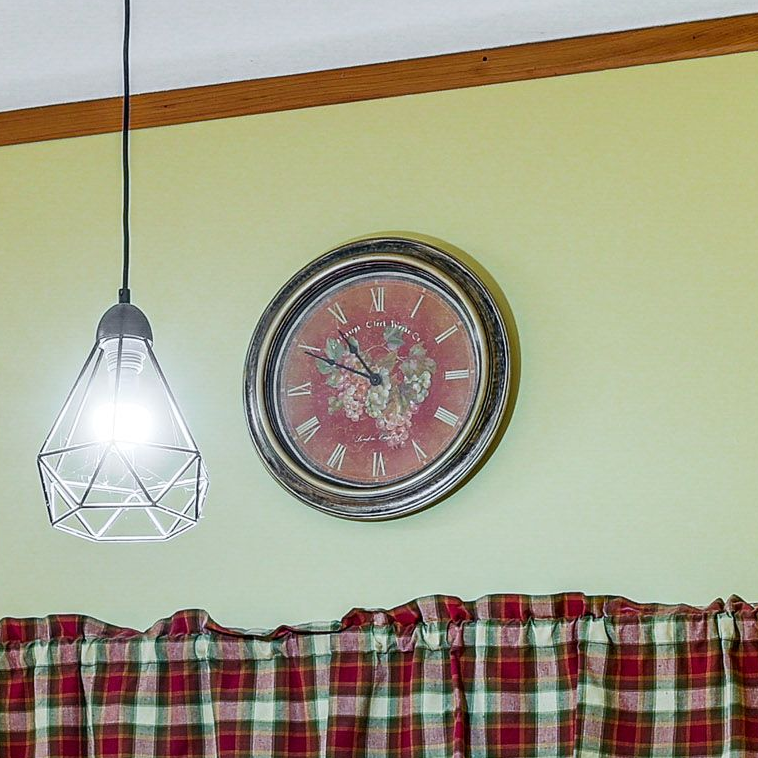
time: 10:49
